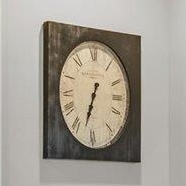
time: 6:32
